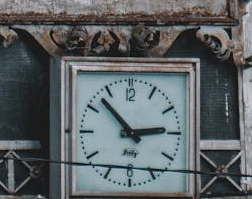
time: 2:53
